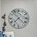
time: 7:22
